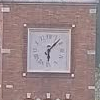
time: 6:07
